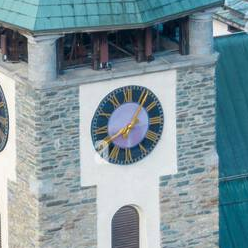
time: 8:06
